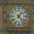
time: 1:22
